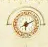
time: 6:10
